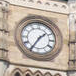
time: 1:35
